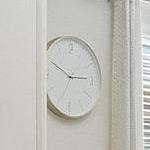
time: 2:49
